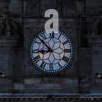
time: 8:52
